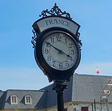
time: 3:50
